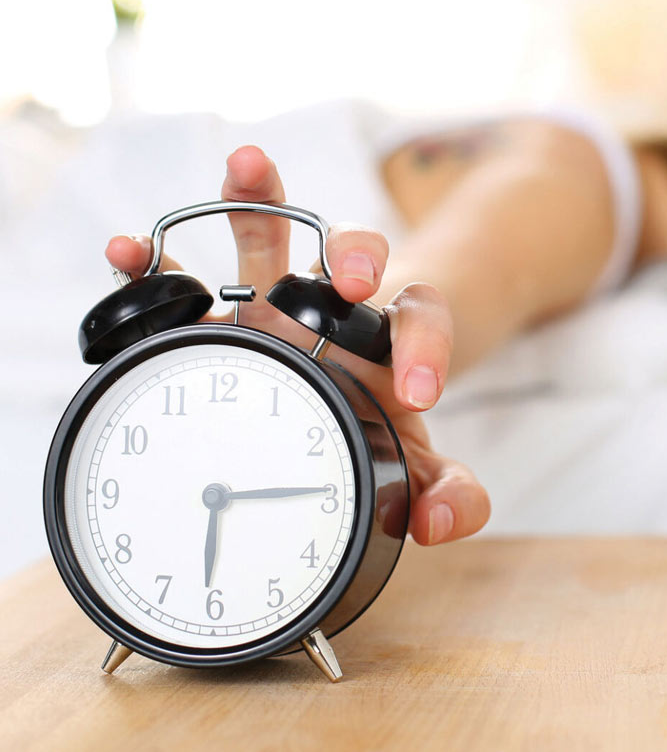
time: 6:14
